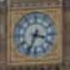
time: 3:33
